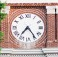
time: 7:24
